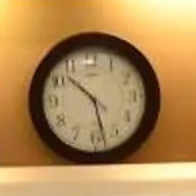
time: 10:28
